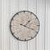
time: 1:18
